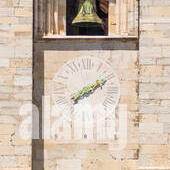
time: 2:10
